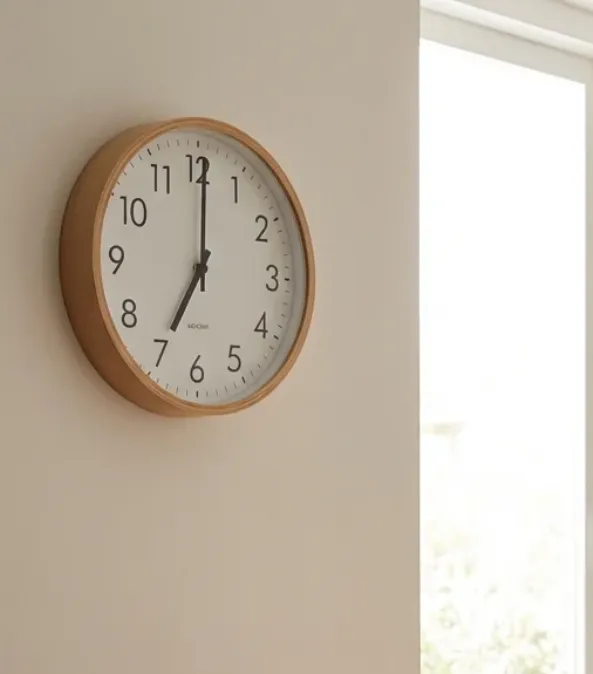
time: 7:00
